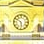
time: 5:50
